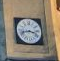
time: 3:42
